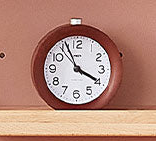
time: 3:55
